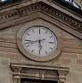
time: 5:42
